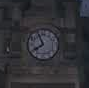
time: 7:55
